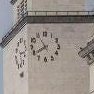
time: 7:54
